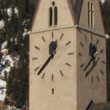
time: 12:37
